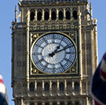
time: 1:11
